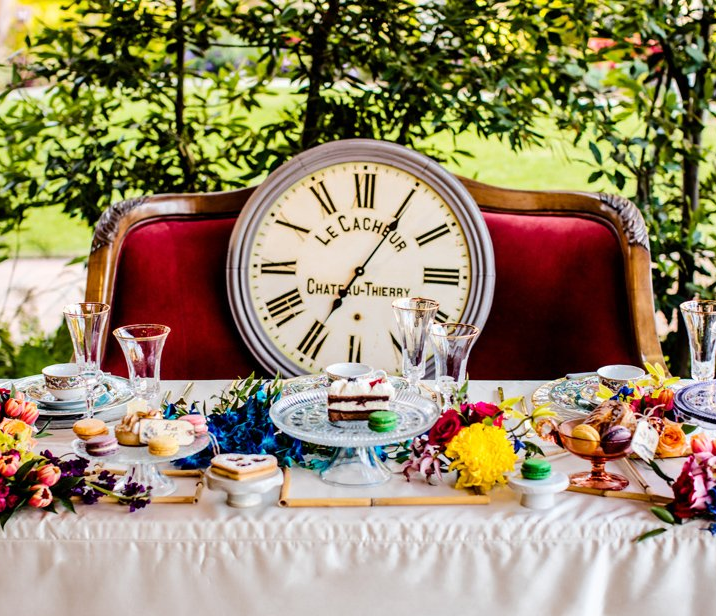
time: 7:05
